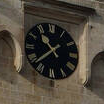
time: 10:37
